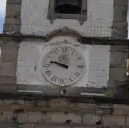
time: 9:47
